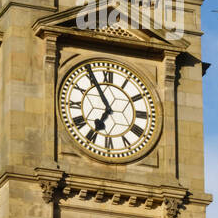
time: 6:55
